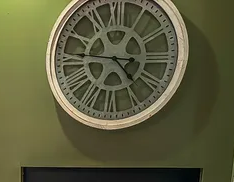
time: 4:45
